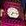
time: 7:15
